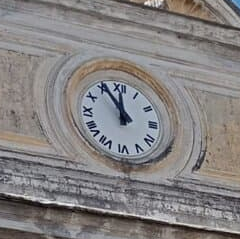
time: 11:54
